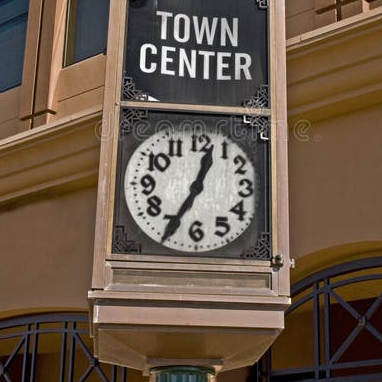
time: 12:34
